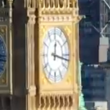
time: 12:16
